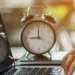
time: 9:00
